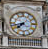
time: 7:42
